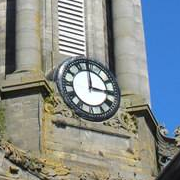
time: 2:59
